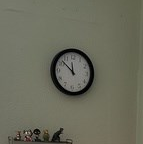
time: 11:52
